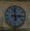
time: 2:58
